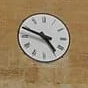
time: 4:48
